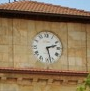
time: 2:27
